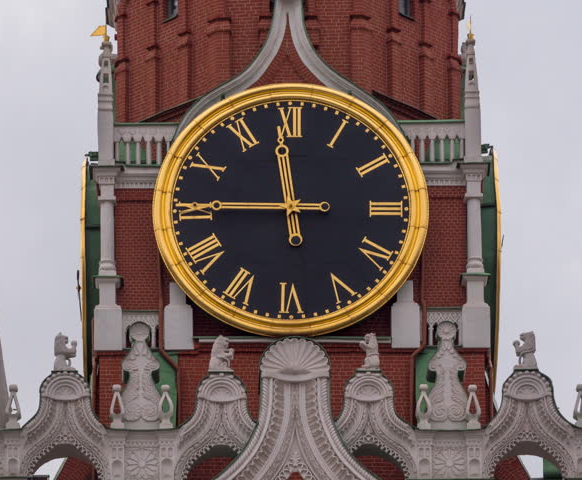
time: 11:45
